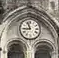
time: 8:56
